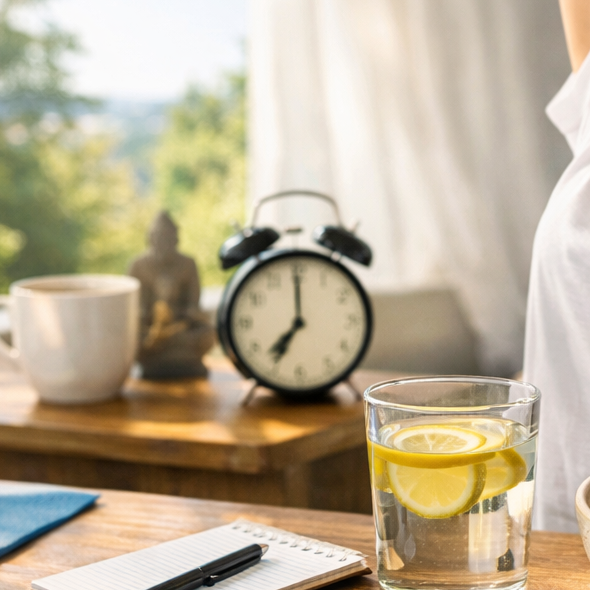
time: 7:00
